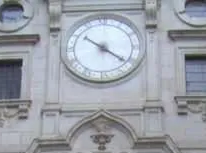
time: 10:21
